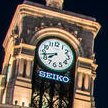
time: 7:42
